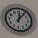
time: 12:06
